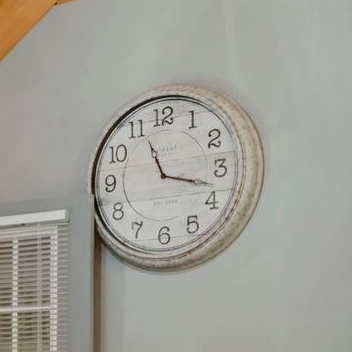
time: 11:17
